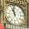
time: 10:58
